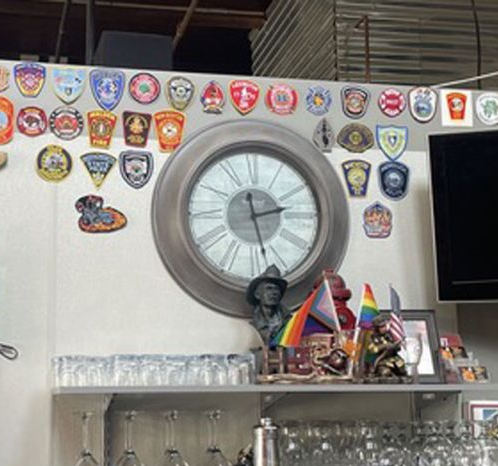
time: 2:27
